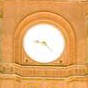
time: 9:22
